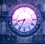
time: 8:34
